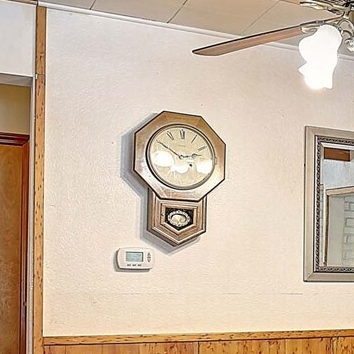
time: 2:50
